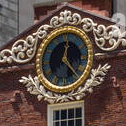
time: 12:23
